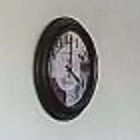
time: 4:01
